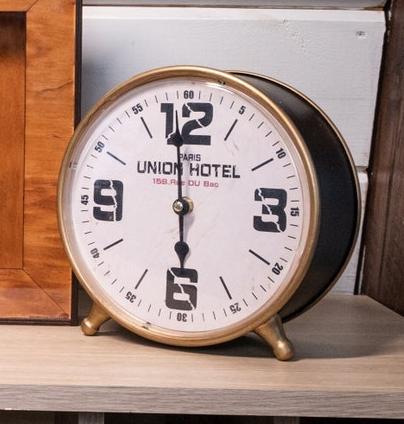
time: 5:58
